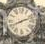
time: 8:11
